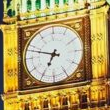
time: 6:48
